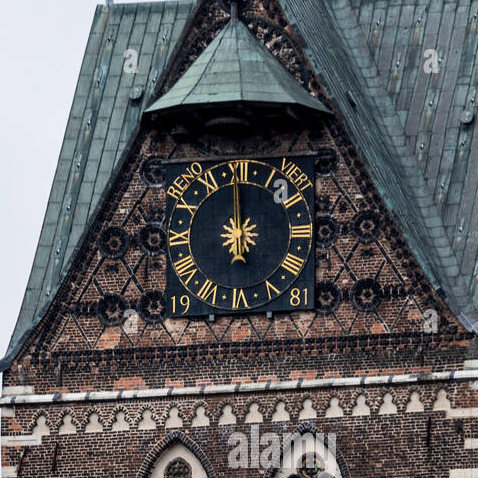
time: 11:59
